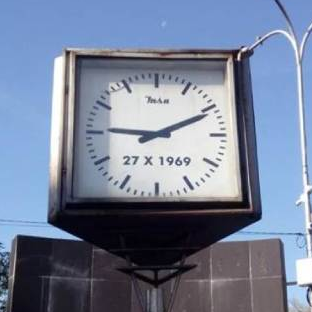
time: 9:10
